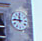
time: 11:46
